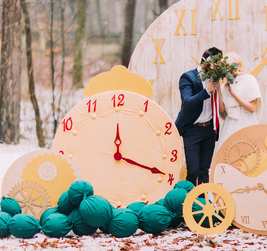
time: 12:18
